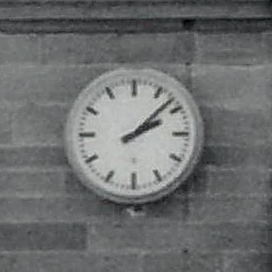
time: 2:07
